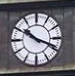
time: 10:18
